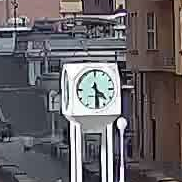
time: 4:29
